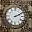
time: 2:09
